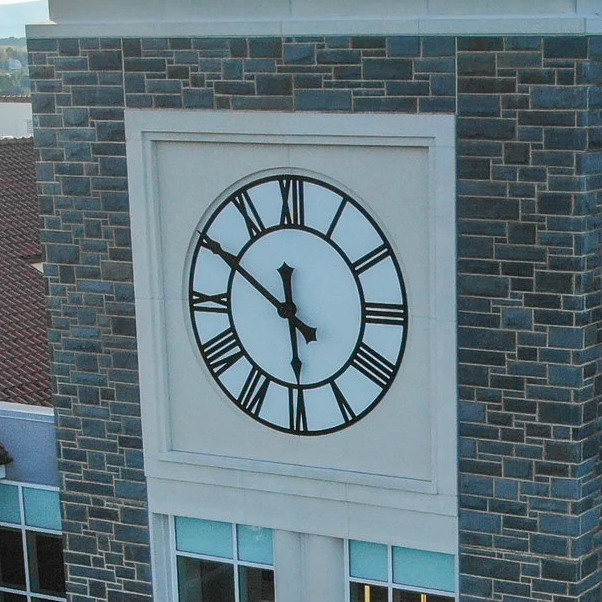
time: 5:50
